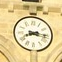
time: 8:16
